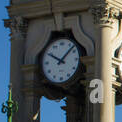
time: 10:07
